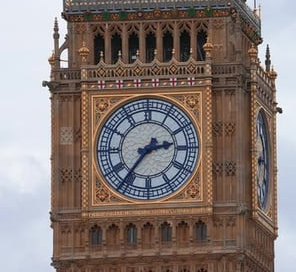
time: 2:36
